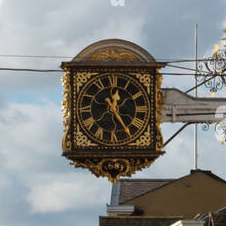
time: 12:24
